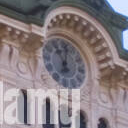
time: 11:02
